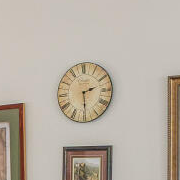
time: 2:29
